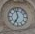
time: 6:57
